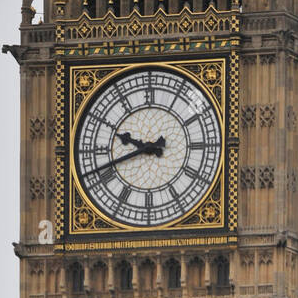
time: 9:41
